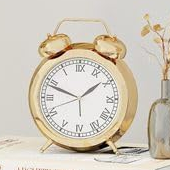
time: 1:48
